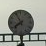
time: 7:55
